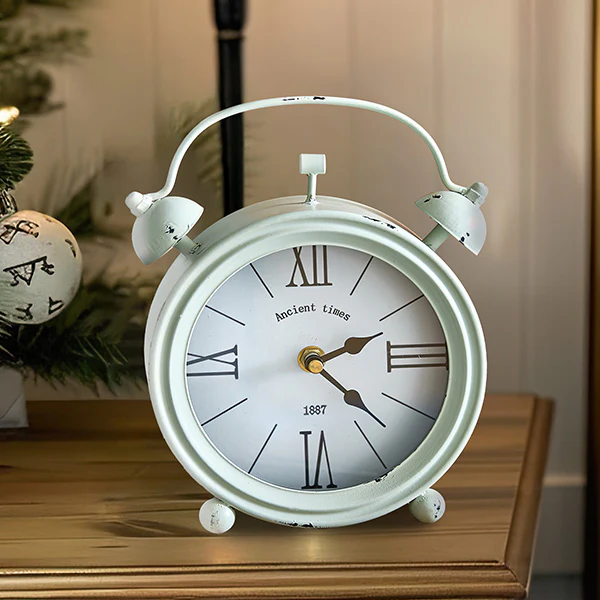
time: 2:22
